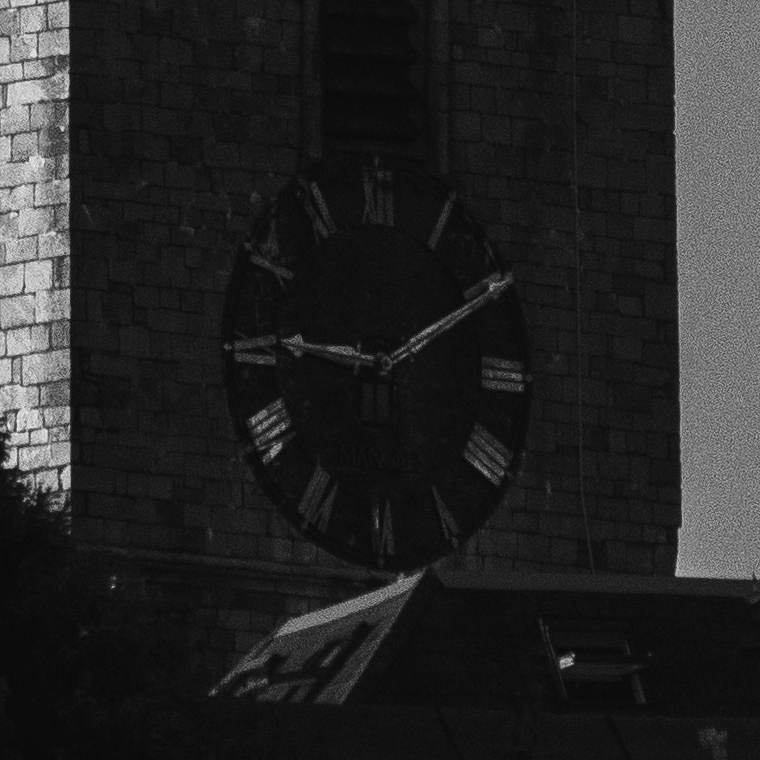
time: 9:10
